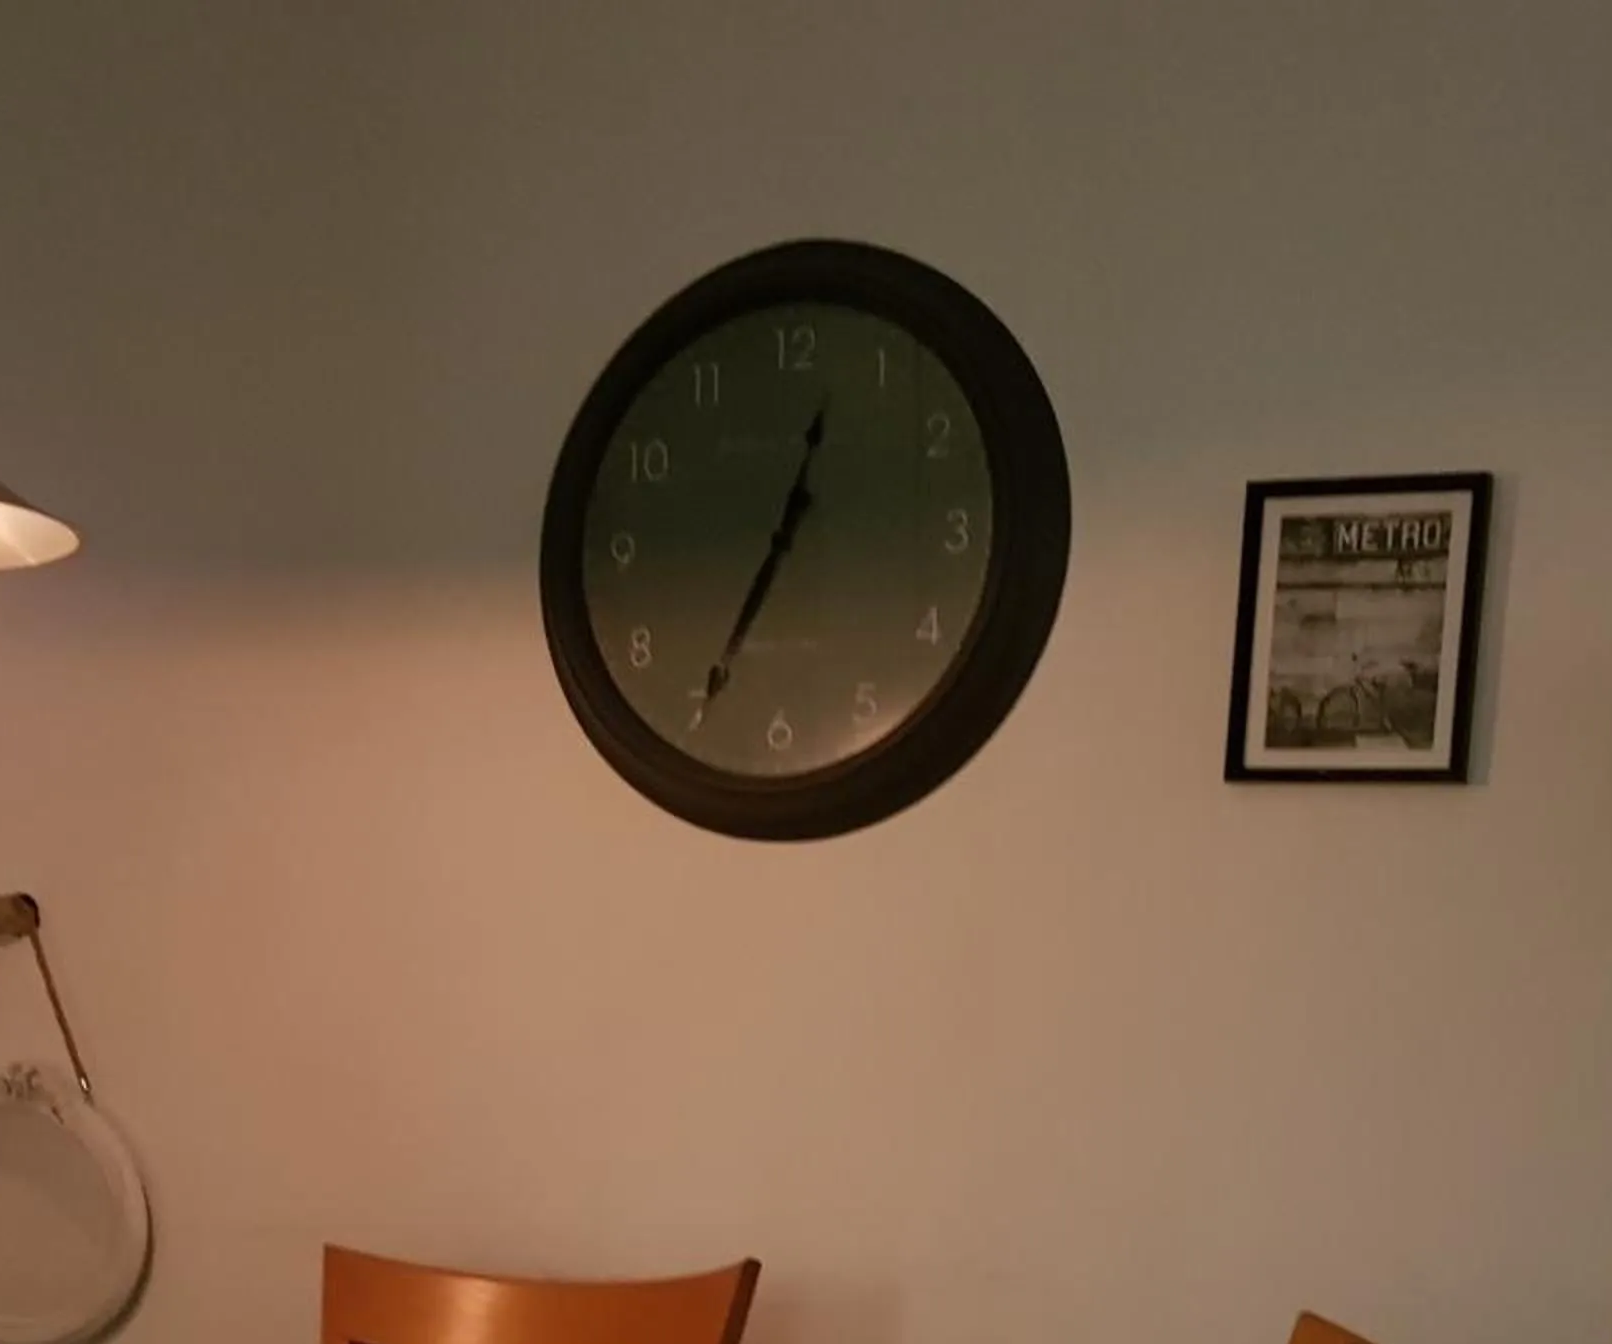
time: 12:34
